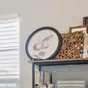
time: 8:09
